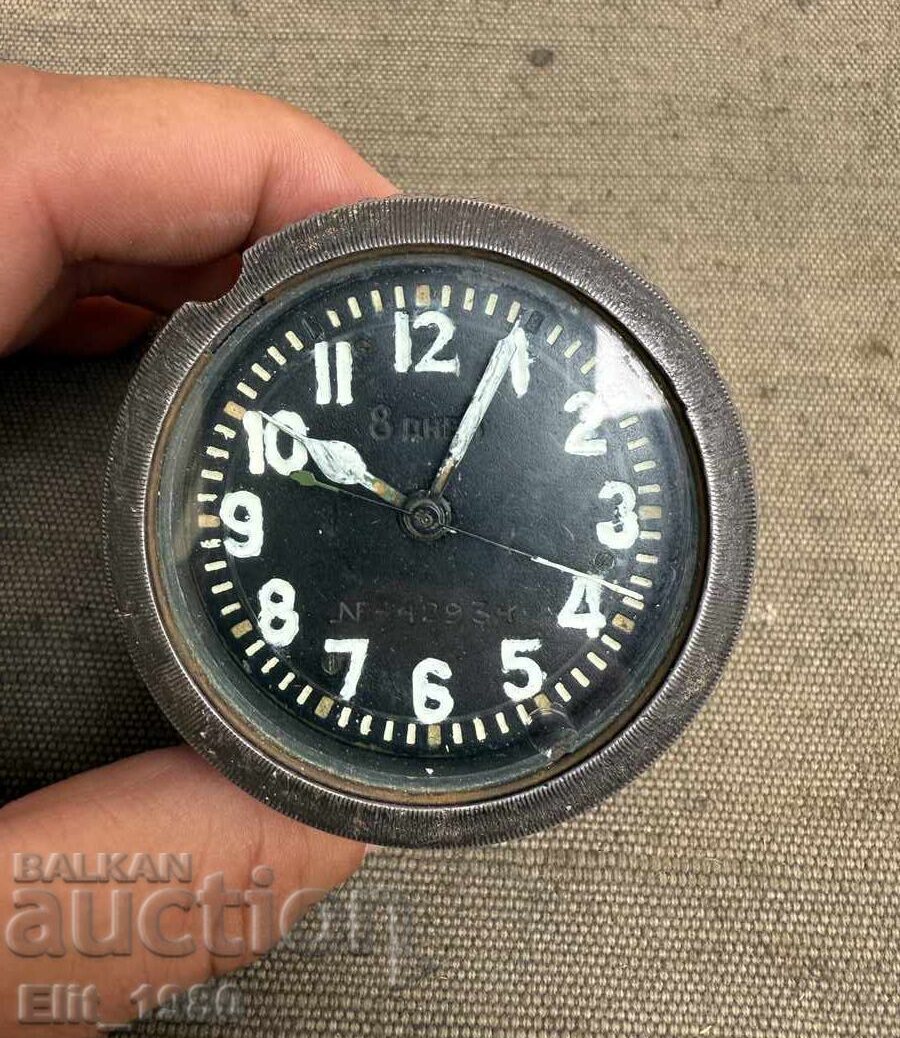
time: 10:04
